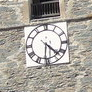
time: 4:31
